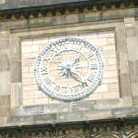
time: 1:22
